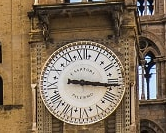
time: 3:15
